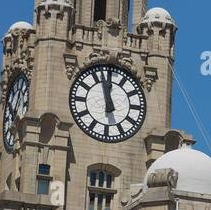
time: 11:57
